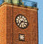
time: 7:15
